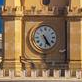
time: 5:24
